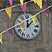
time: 12:07
